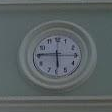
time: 5:45
